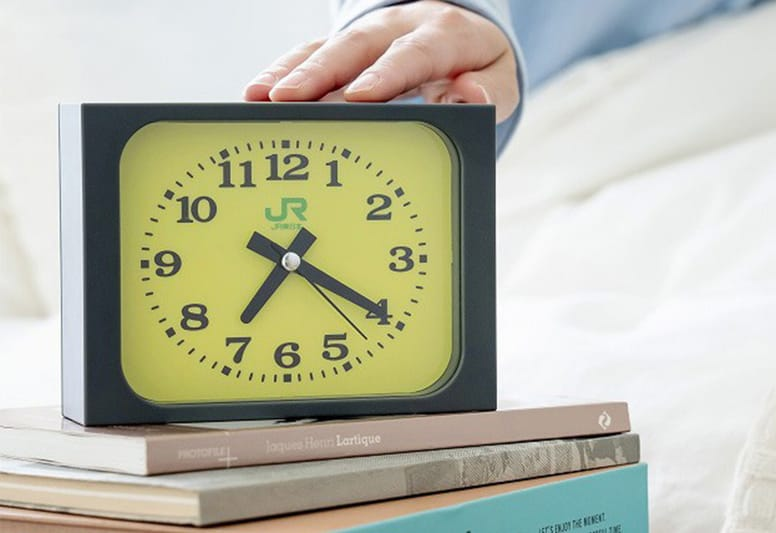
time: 7:19
